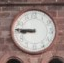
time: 8:45
